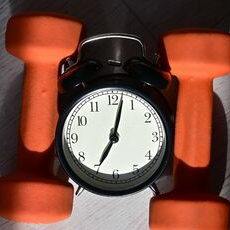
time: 7:02
